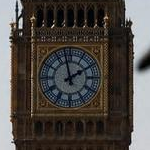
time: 1:57
